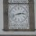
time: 2:42
